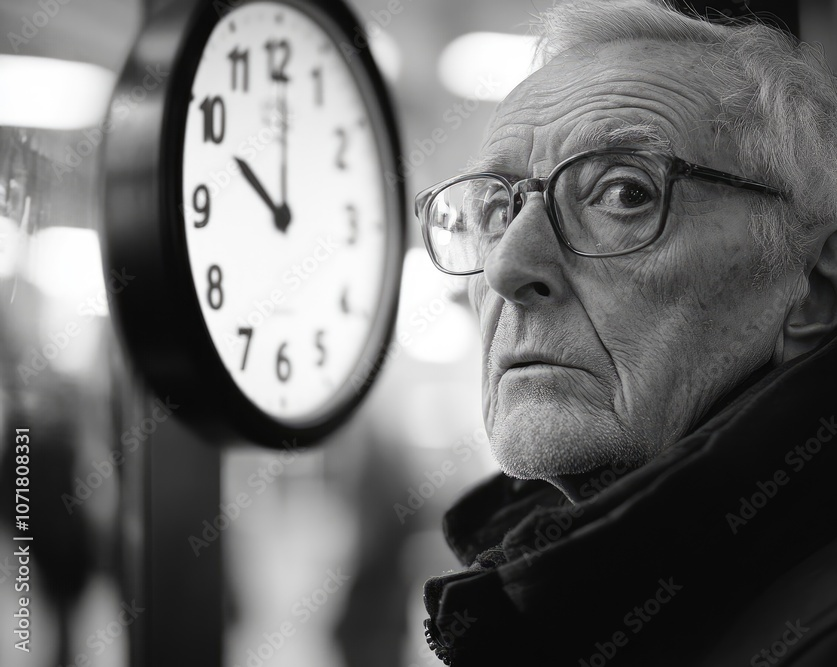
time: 10:00
